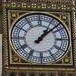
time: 1:08
